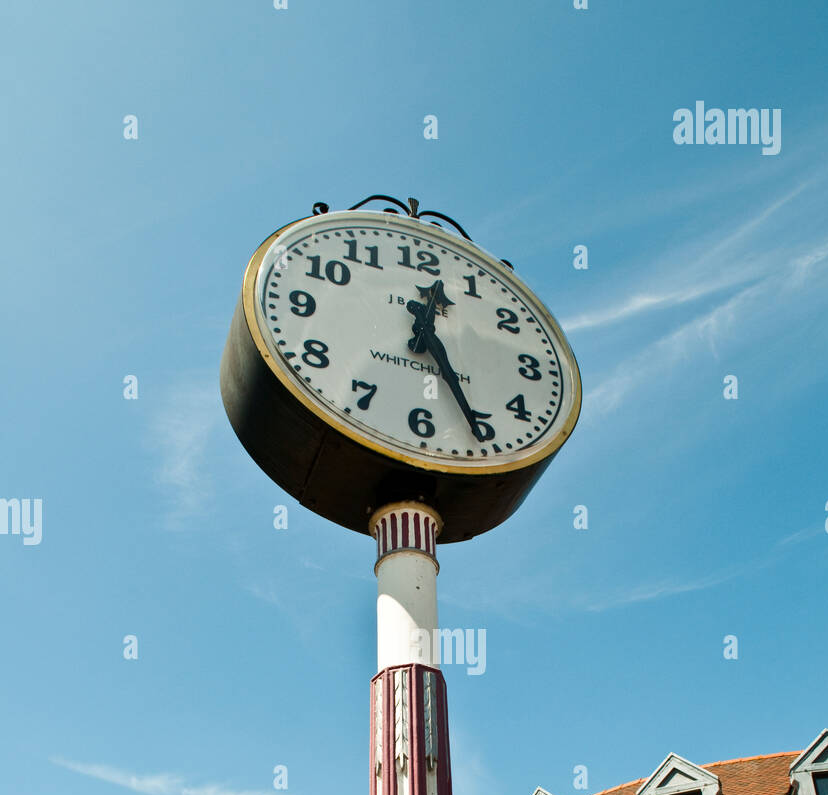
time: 12:25
